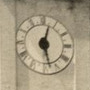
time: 12:27
